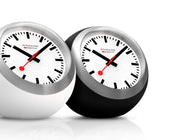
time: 10:07
